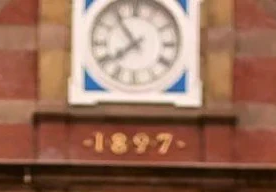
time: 7:53
